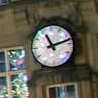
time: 11:12
